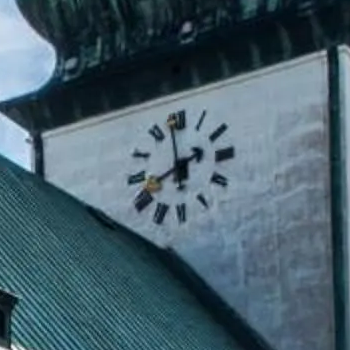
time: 7:58
